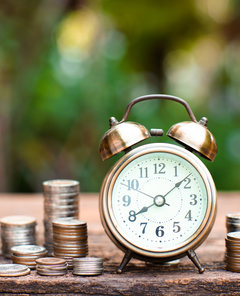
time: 8:08
